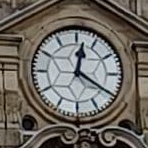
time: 12:20
